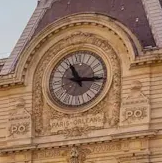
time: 11:15
